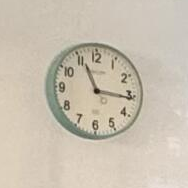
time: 11:15
